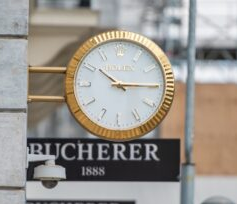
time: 10:14
